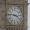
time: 3:46
